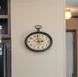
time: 2:58
